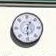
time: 12:28
